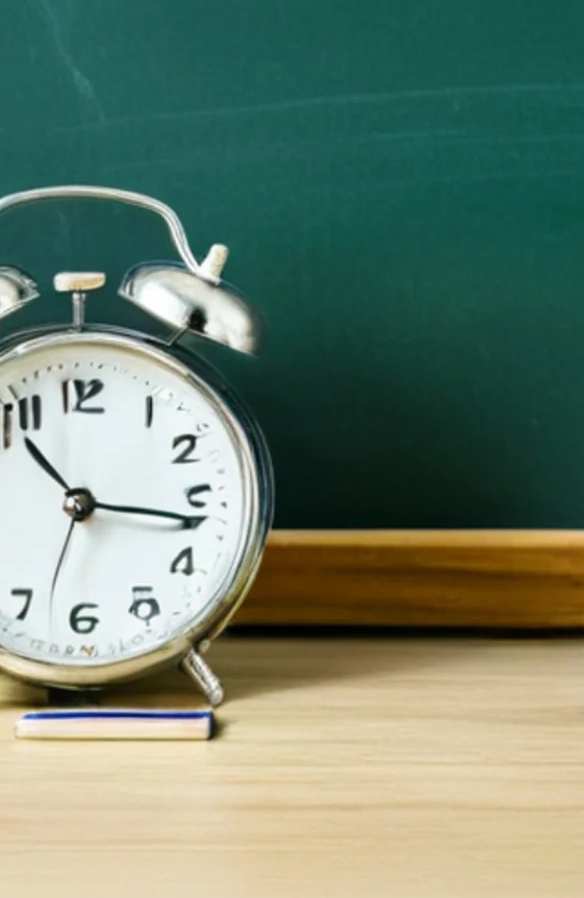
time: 10:16
